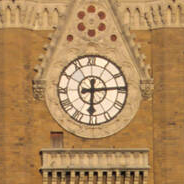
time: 6:14
